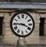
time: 3:45
